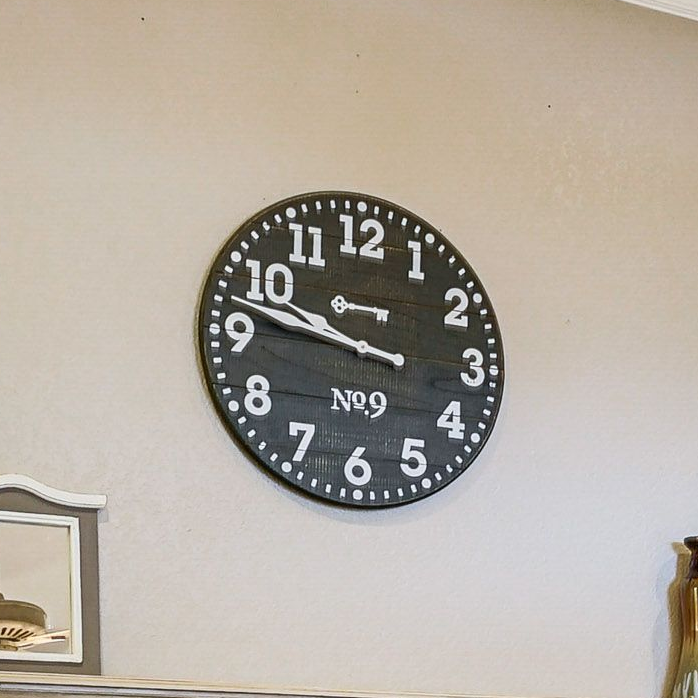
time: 9:47
